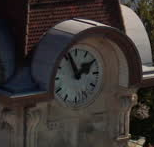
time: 1:56
